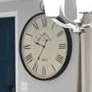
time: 9:35
